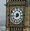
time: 6:44
